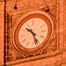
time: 10:26
